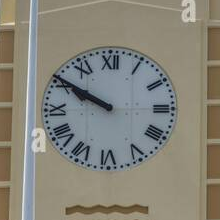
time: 9:50
